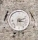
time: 3:11
